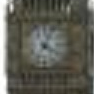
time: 4:04
